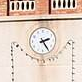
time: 2:24
